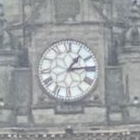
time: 1:13
